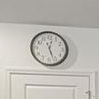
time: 12:26
